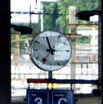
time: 11:35
